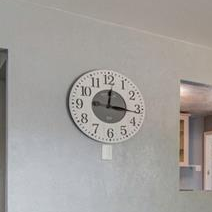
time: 12:16
